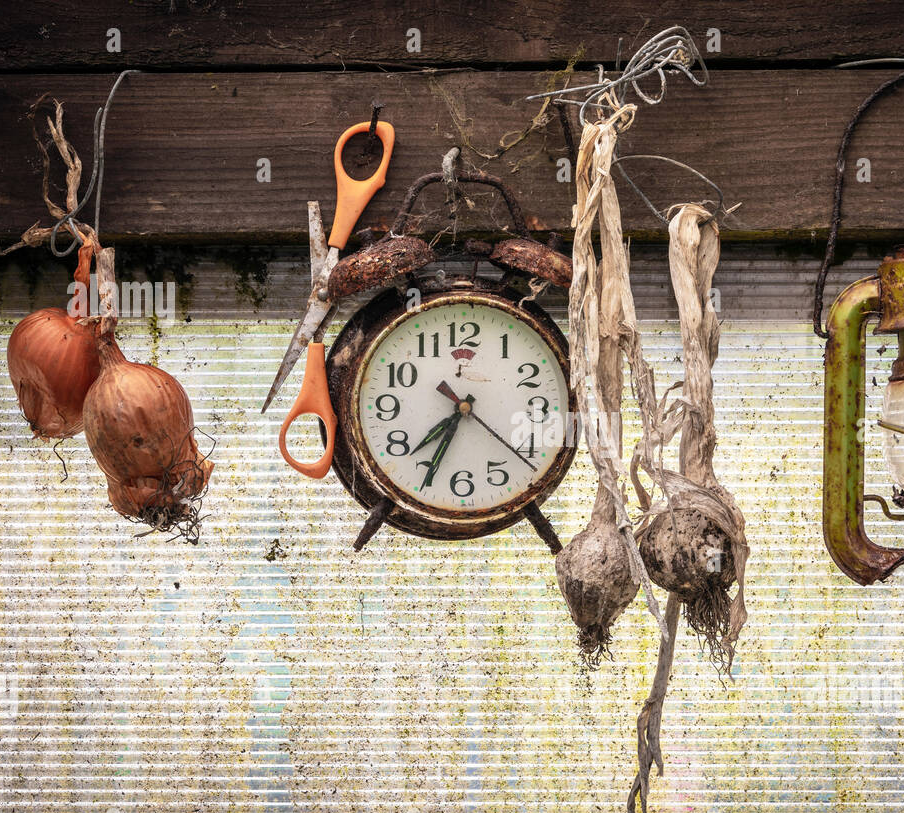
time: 7:34
